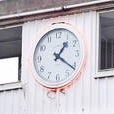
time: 1:21
